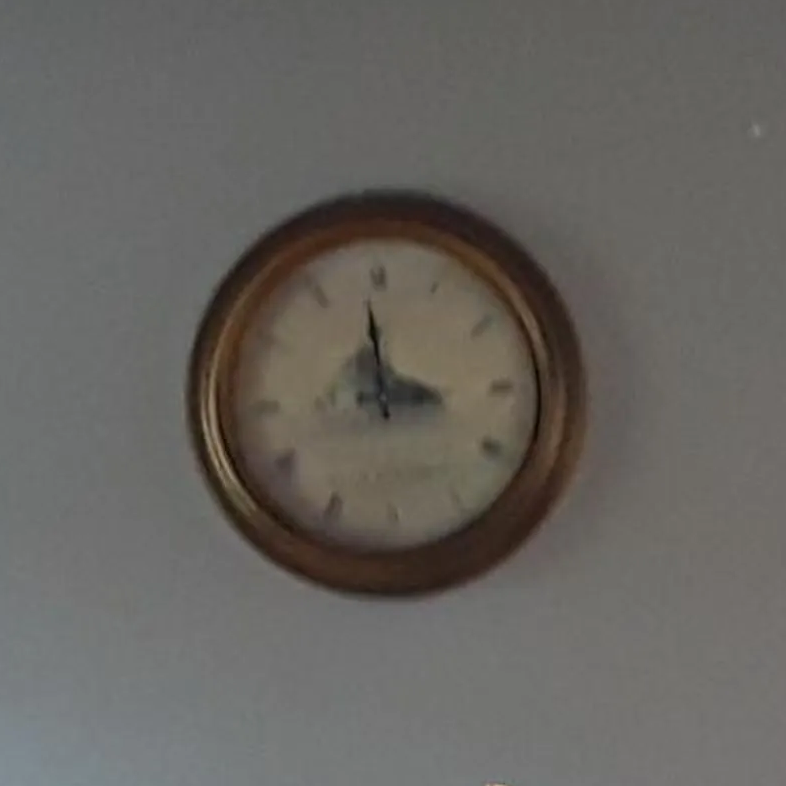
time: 2:58
